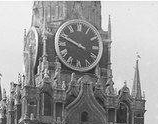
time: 9:48
